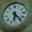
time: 6:23
